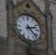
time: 2:23
